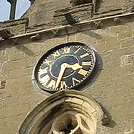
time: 3:32
